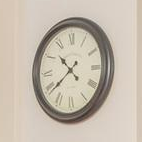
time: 10:38
